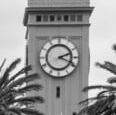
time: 2:18
